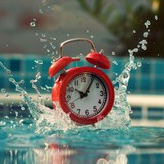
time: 10:06
